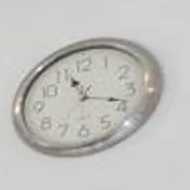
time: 11:17
